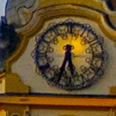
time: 5:33
